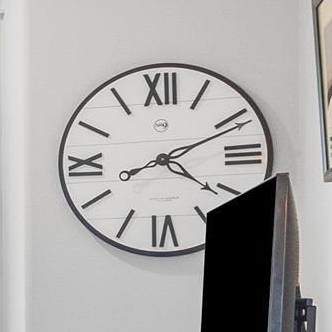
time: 4:10
